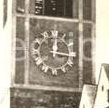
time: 12:16
